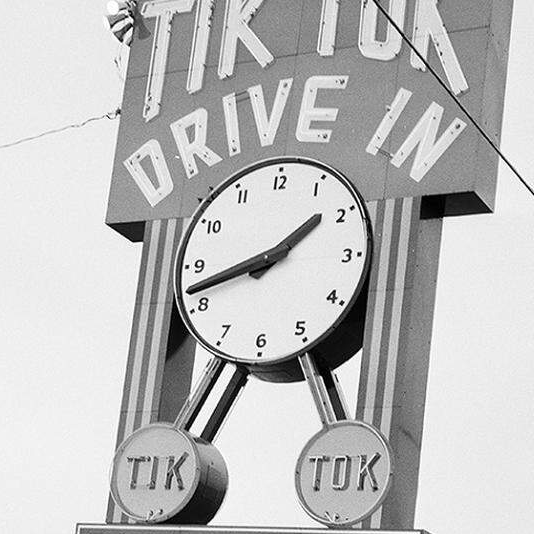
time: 1:41
